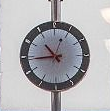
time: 10:44
